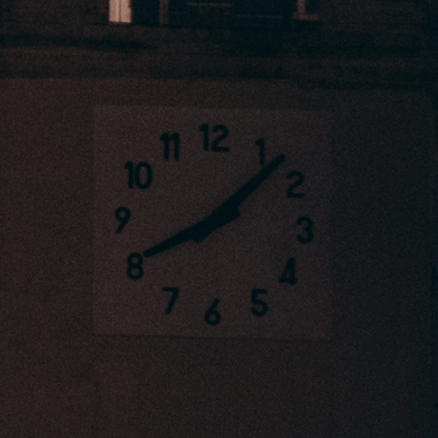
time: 8:07
